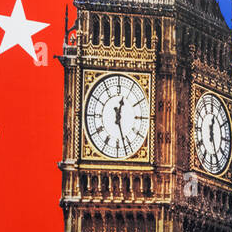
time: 12:27
